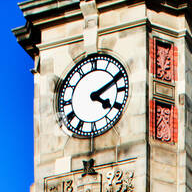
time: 4:10
